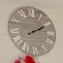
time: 2:10
